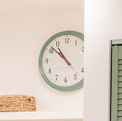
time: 10:51
